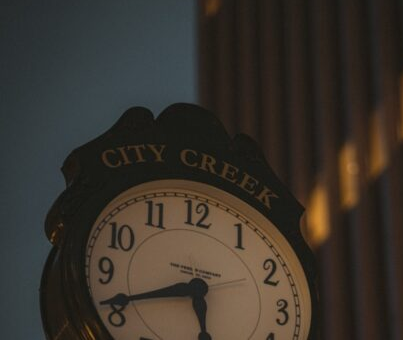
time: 5:41
